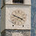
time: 3:48
